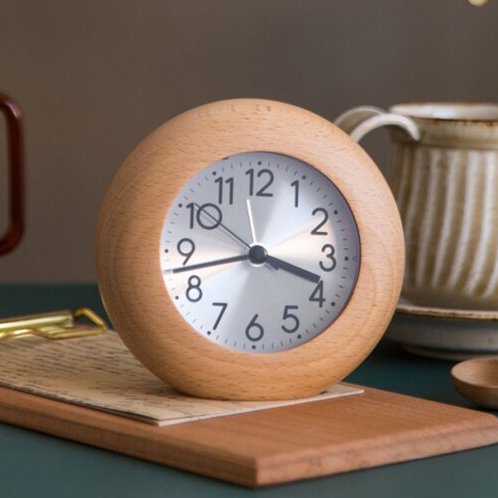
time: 3:42
